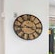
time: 3:43
